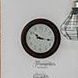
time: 10:16
